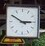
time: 2:50
